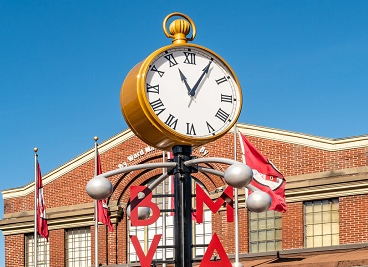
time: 11:05
